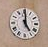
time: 5:00
